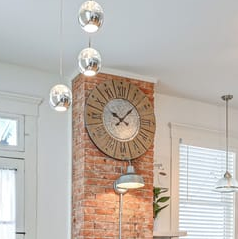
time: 10:07
